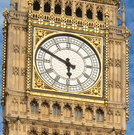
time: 5:49
